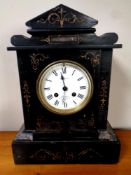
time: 3:58
